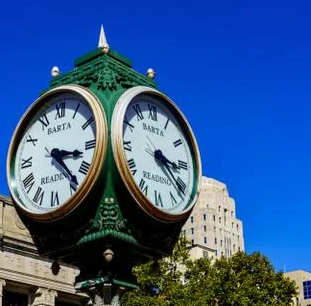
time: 3:21
